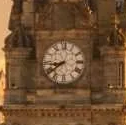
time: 8:39
